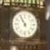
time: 10:55
